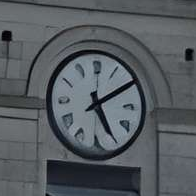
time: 5:09
